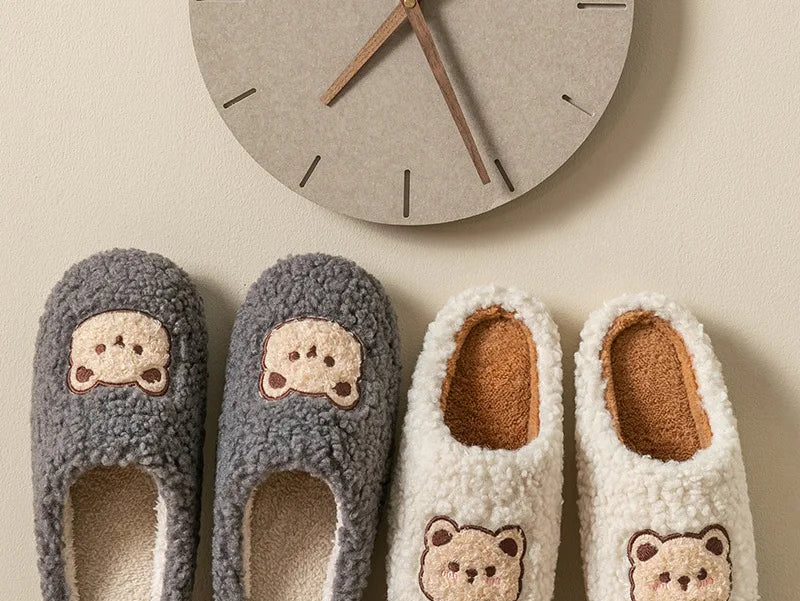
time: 7:25
